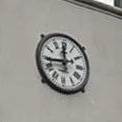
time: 11:43
